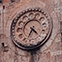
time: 4:33
